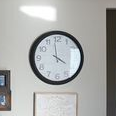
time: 3:58
